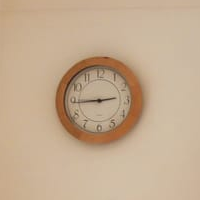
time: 2:44
